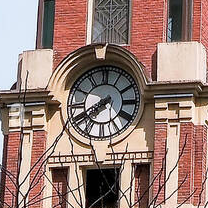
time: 7:40
